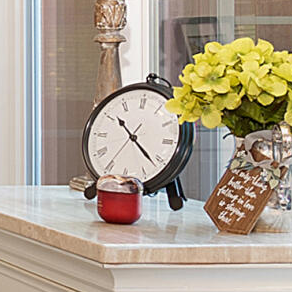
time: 10:21
